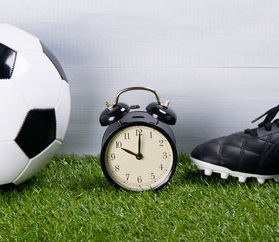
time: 10:00
